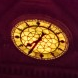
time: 7:35
